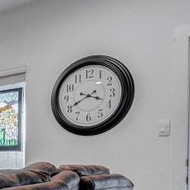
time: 3:40
